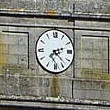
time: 2:22
